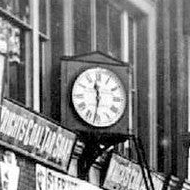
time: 11:31
